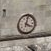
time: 4:02
